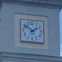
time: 1:51
